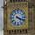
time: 4:18
